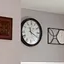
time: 11:19
